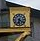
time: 6:21
